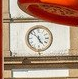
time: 4:52
